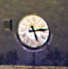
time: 5:13
